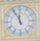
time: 11:55
